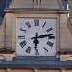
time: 6:13
